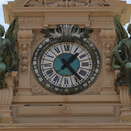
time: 1:23
